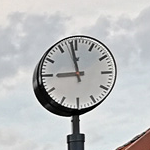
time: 8:58
